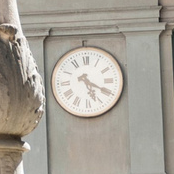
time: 5:19
